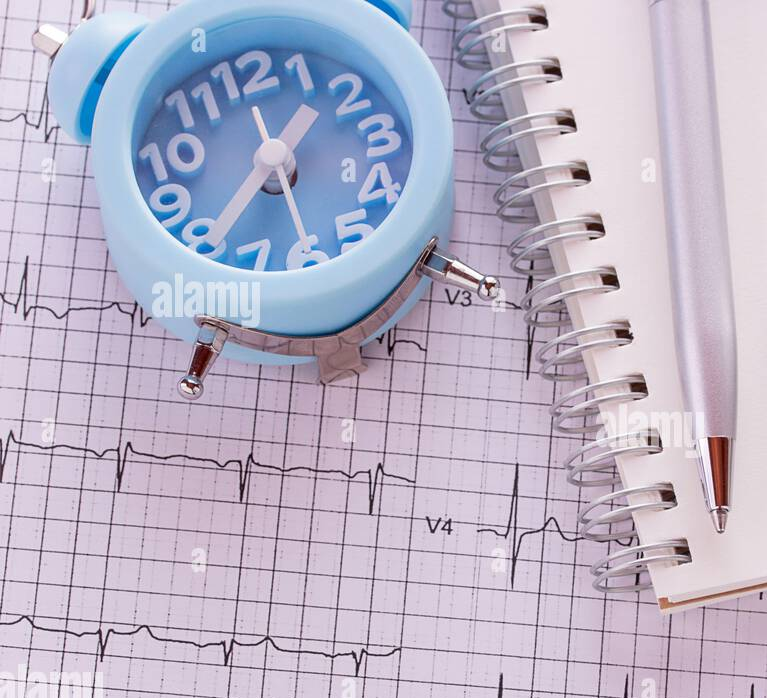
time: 1:39
